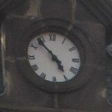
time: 4:53
